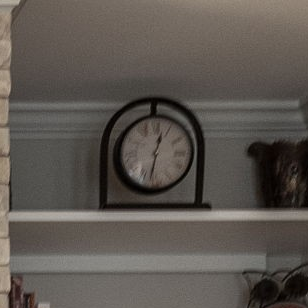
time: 12:32
